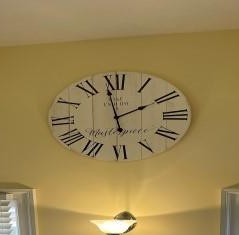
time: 1:58
